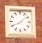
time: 8:07
